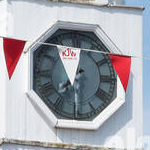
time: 7:03
